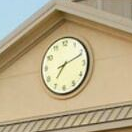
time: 7:11
